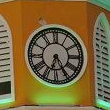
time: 6:24
